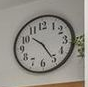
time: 10:24
